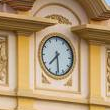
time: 7:28
